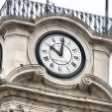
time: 10:01
